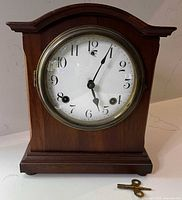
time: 5:04
